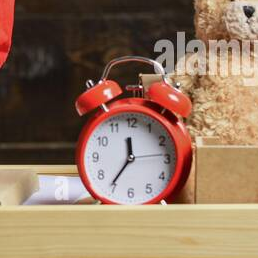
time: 11:35
